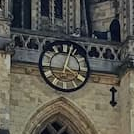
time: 4:02
